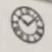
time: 10:07
